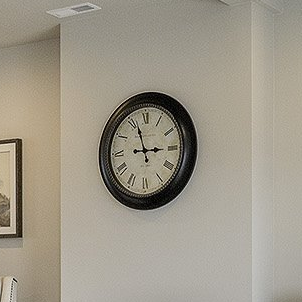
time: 2:56
